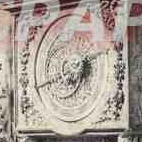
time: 6:41
